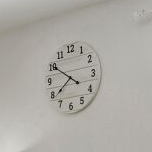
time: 7:50
